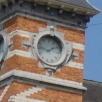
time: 1:46
